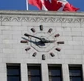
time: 2:48
